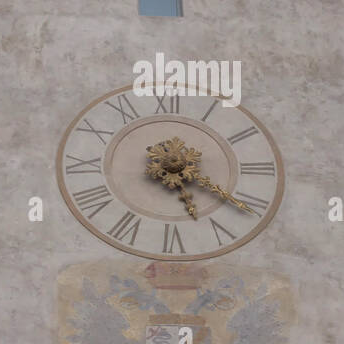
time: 5:20
